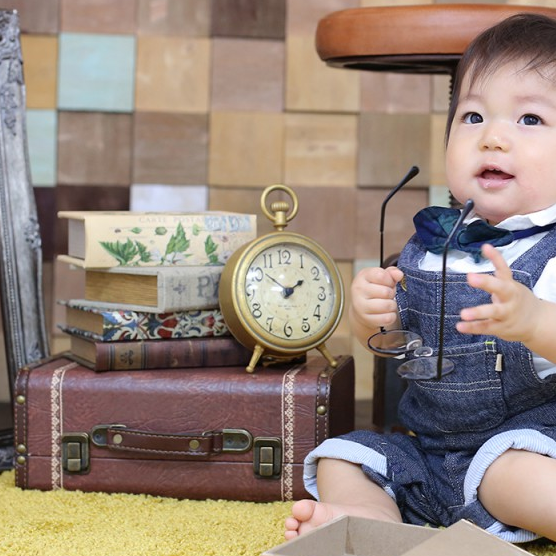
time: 1:52
